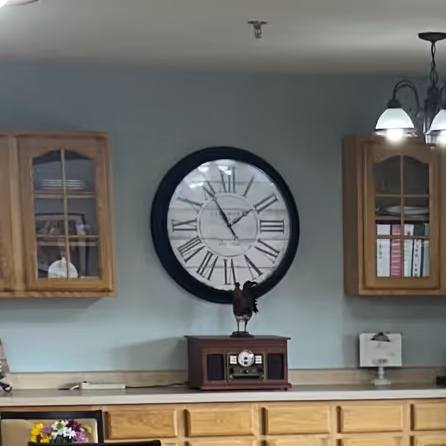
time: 1:54
